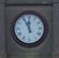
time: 11:55
